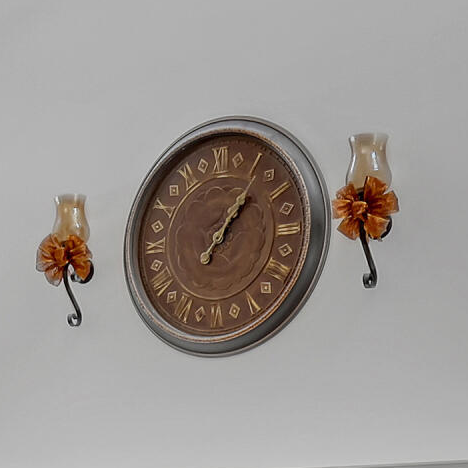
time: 1:06
